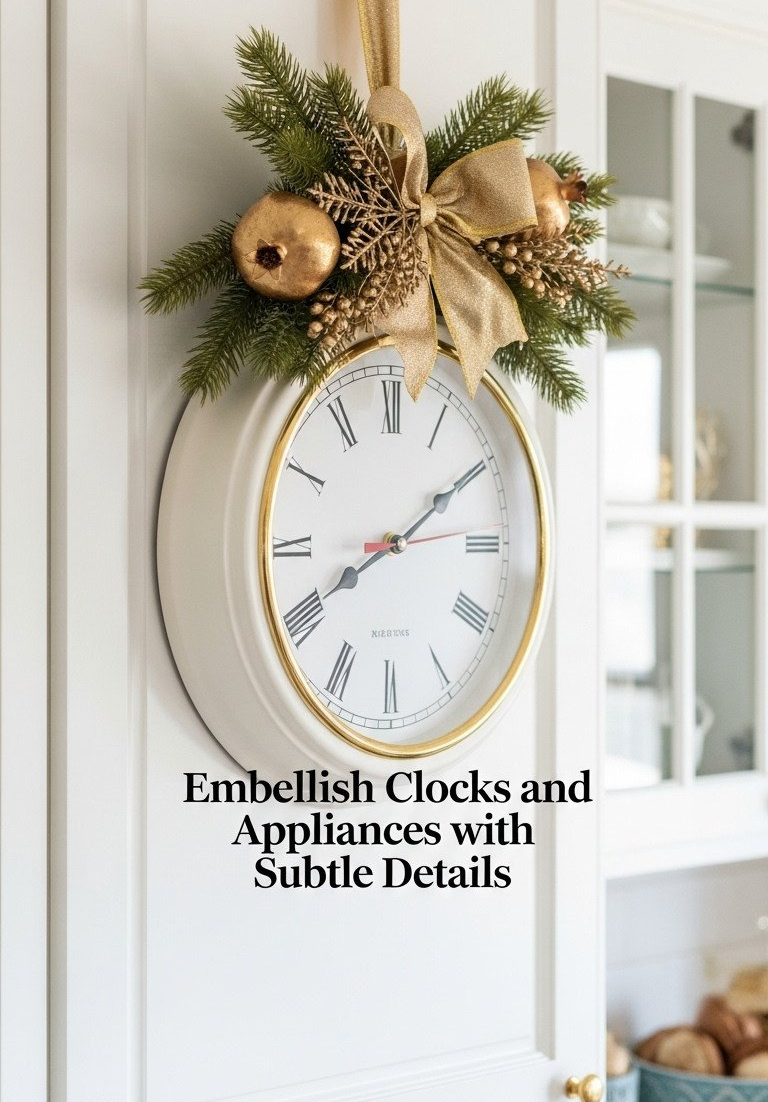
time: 8:09
